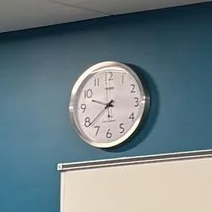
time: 9:38
